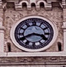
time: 3:40
